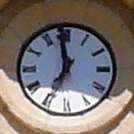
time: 6:58
